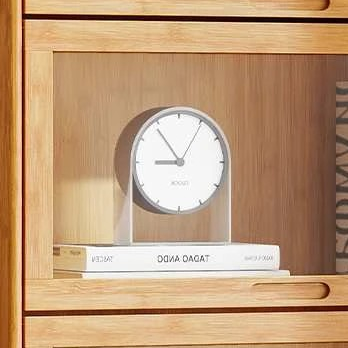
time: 8:54
